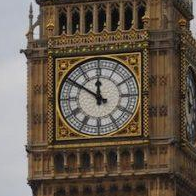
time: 11:50
